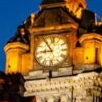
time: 8:53
